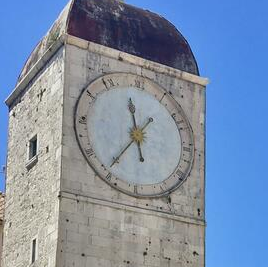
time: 11:36
